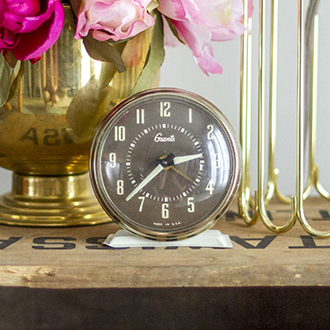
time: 2:37
